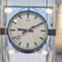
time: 9:10
